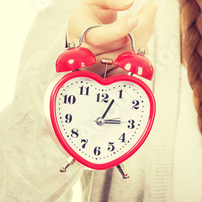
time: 3:04
